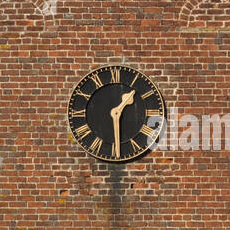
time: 1:29
